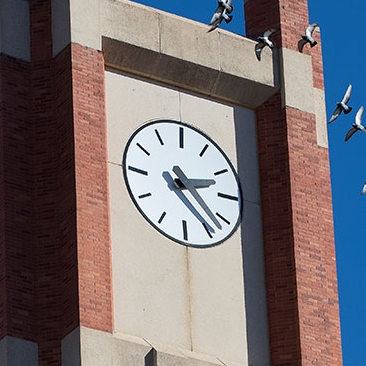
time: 2:23
